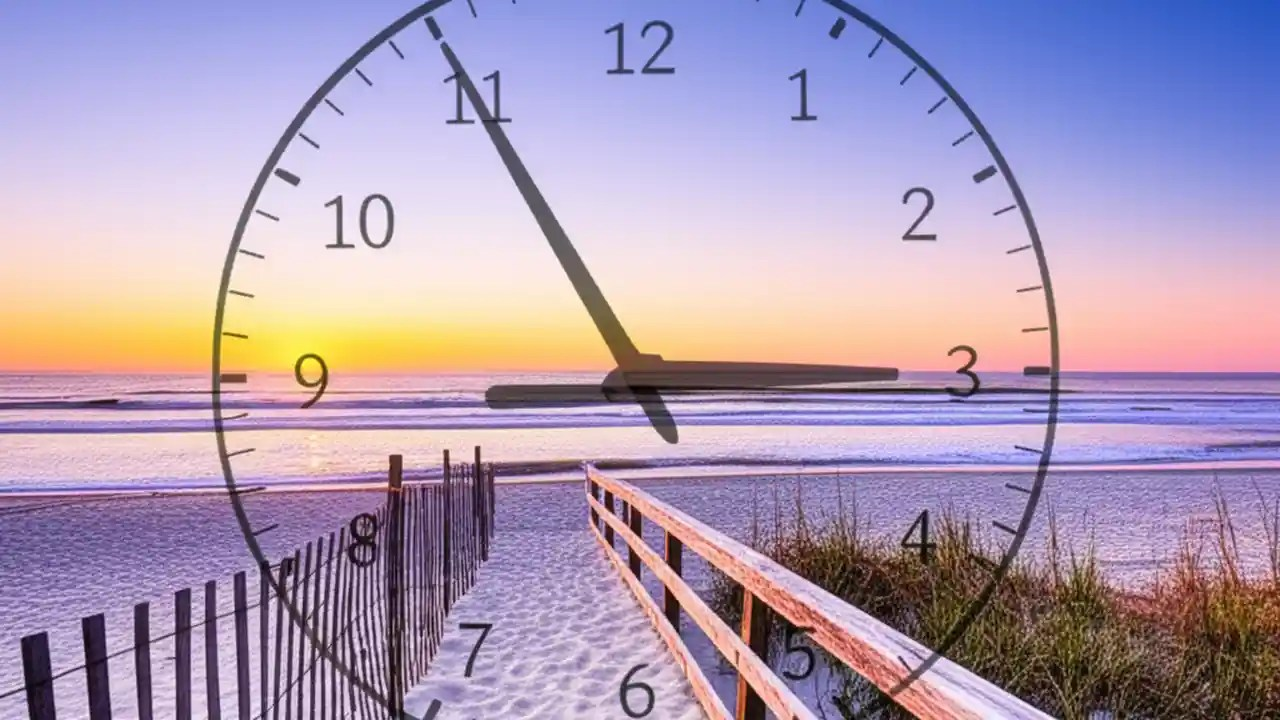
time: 2:55
